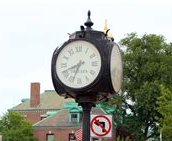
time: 6:41
